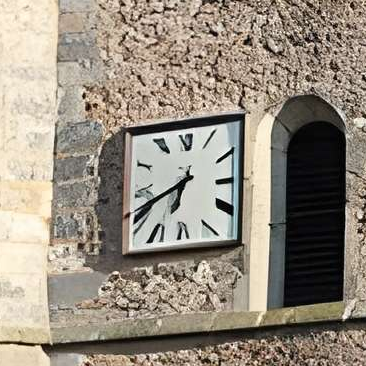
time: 6:40
